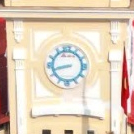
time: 8:42
